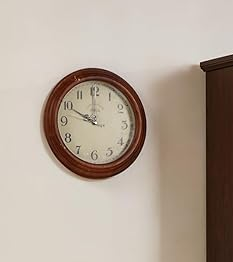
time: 9:59
